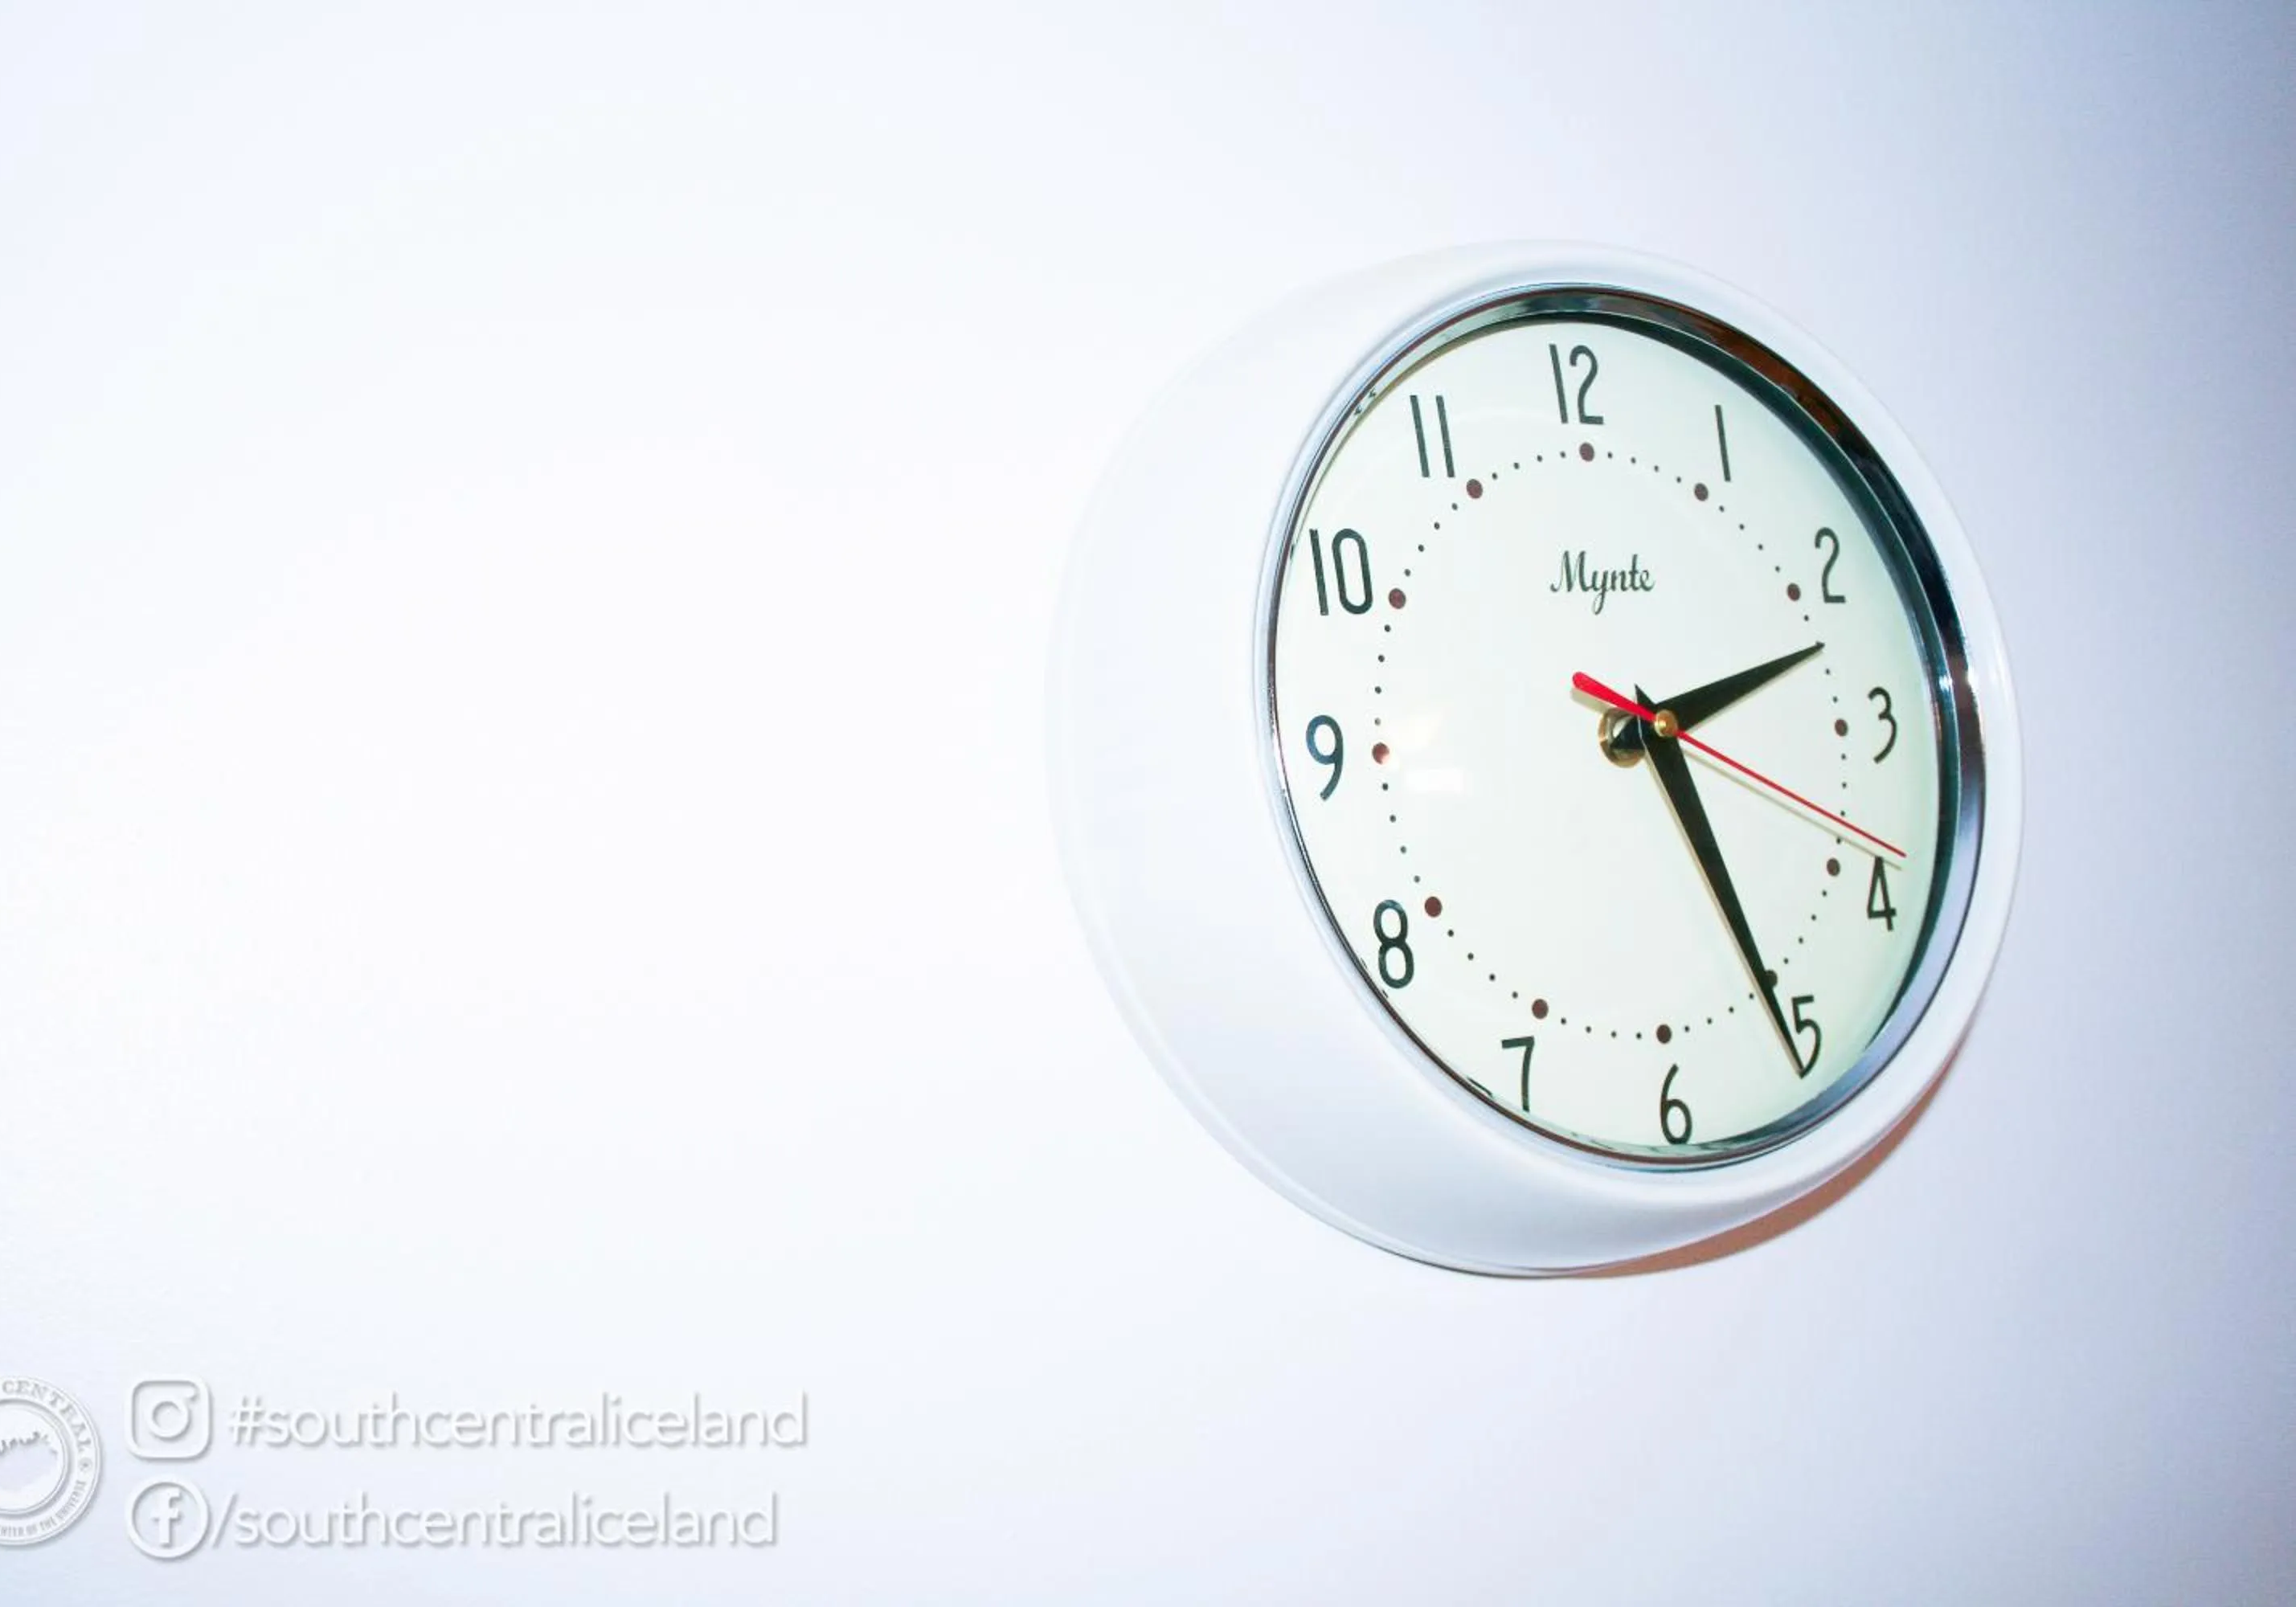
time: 2:25
